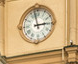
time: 2:57
